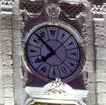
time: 7:52
